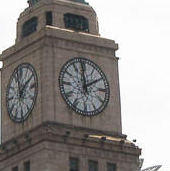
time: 1:59
